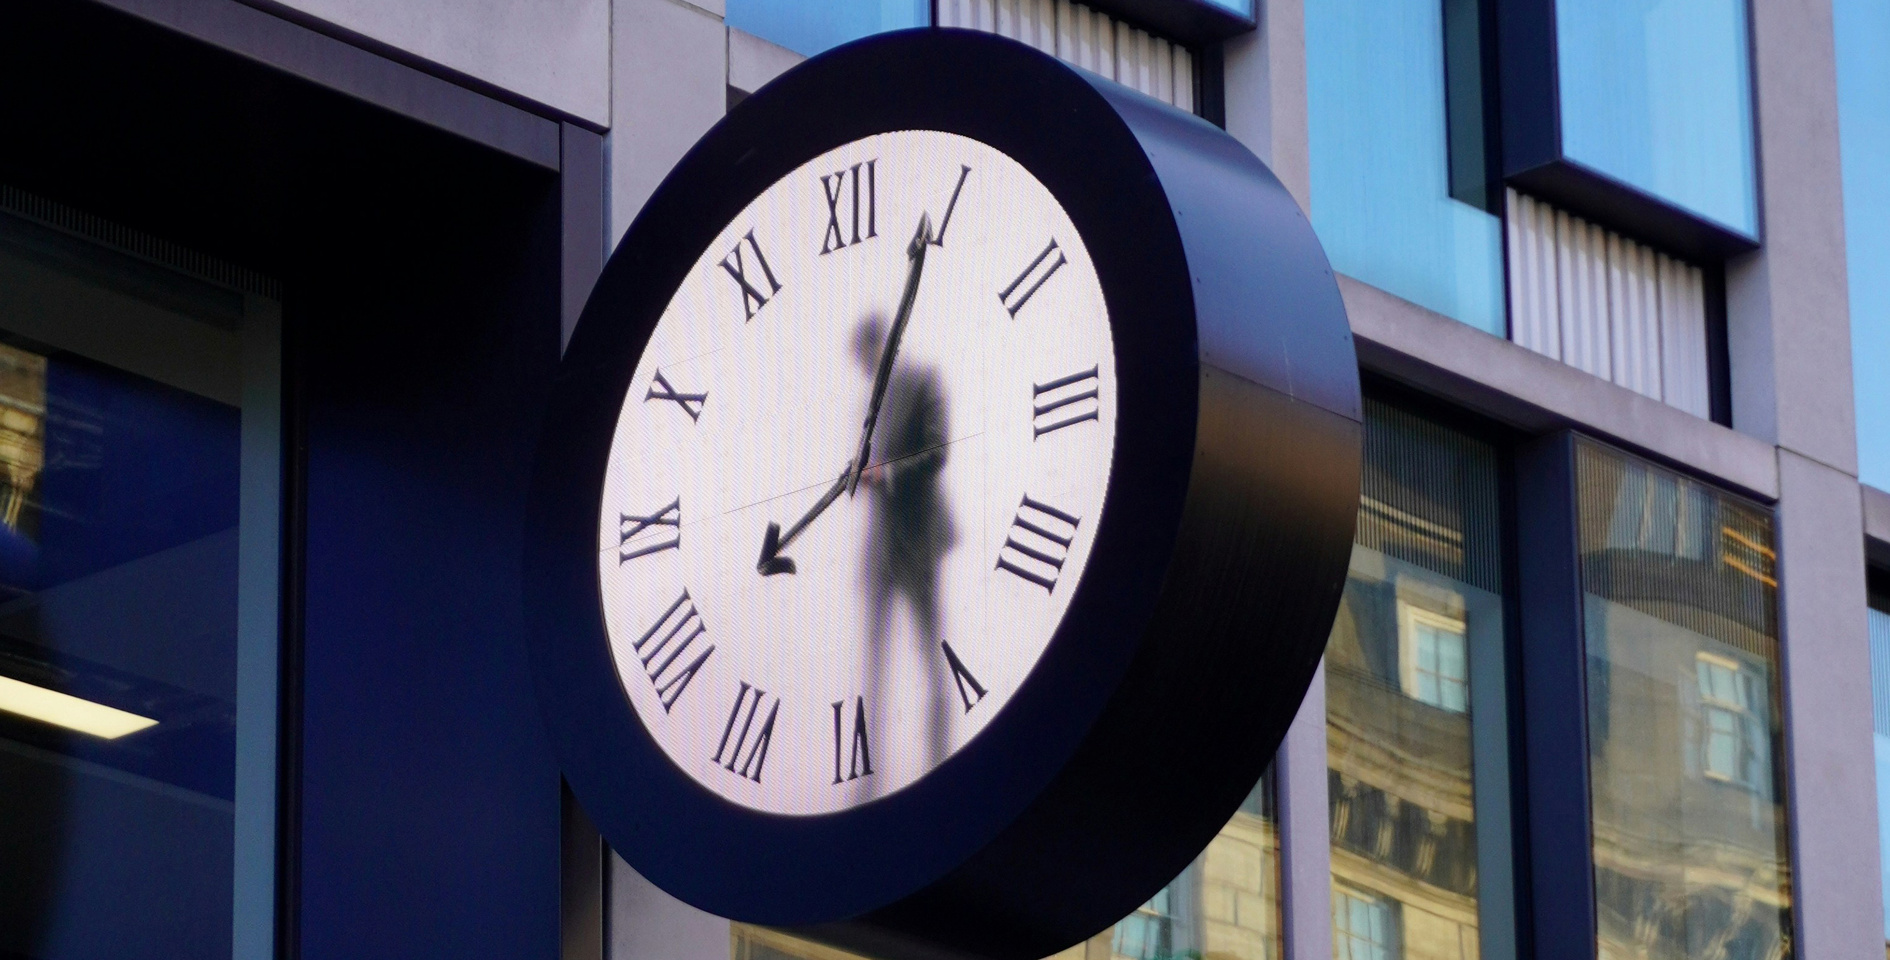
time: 8:04
